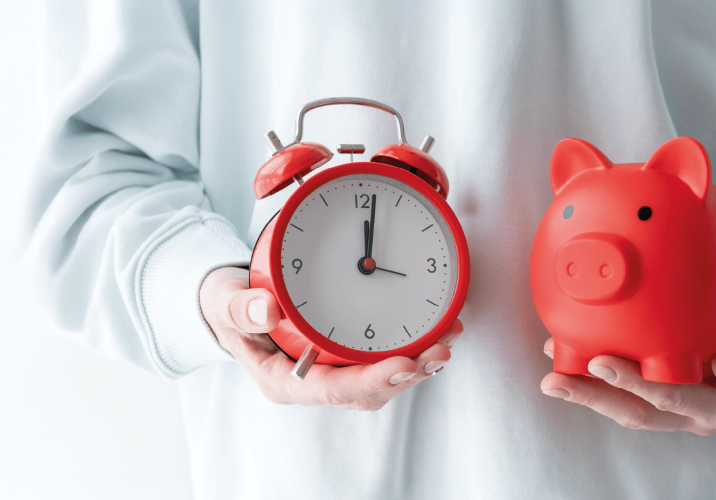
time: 12:01
